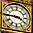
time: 3:45
